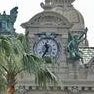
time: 11:35
